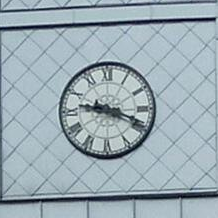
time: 9:18
